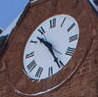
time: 10:25
